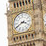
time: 3:40
